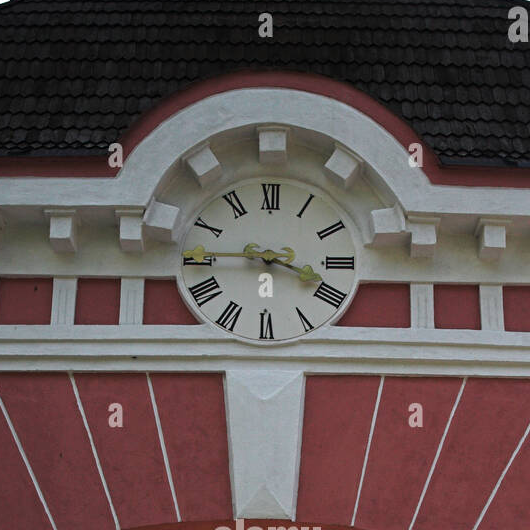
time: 3:44
